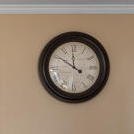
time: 11:50
